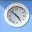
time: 4:52
